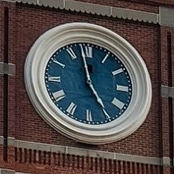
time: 4:58
